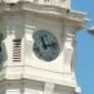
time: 11:12
